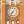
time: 7:34
